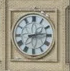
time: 2:14
